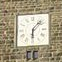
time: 6:07
